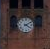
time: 4:09
